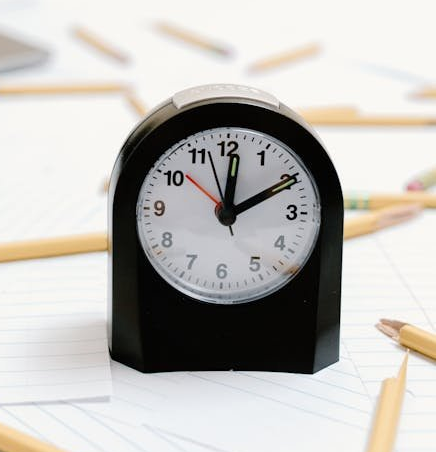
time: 12:10
